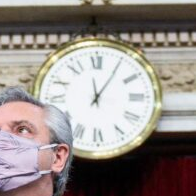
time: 12:05
